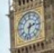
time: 2:32
